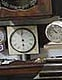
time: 5:59
